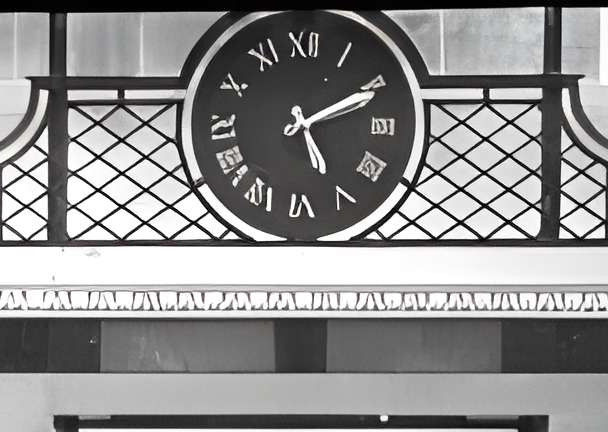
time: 5:10
